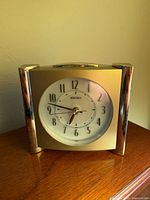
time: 6:47
